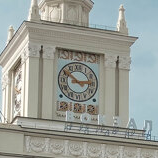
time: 2:50
